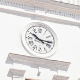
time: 10:15
